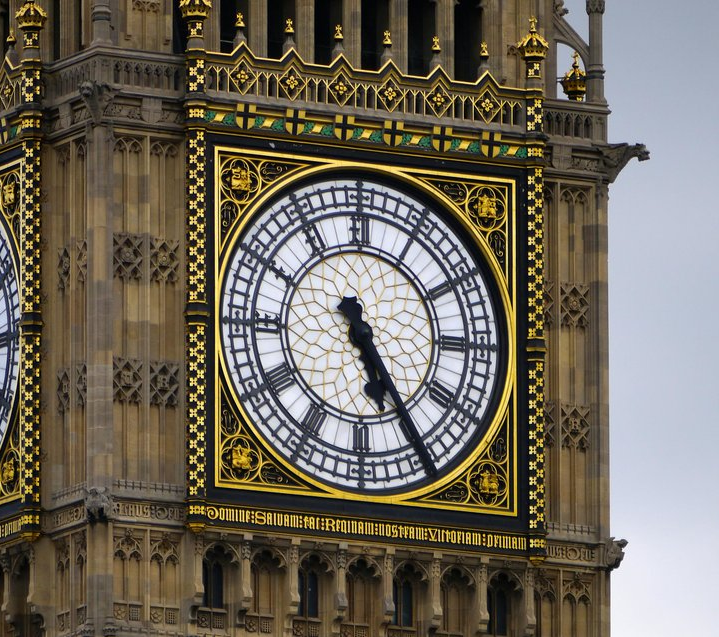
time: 5:24
